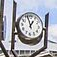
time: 12:56
